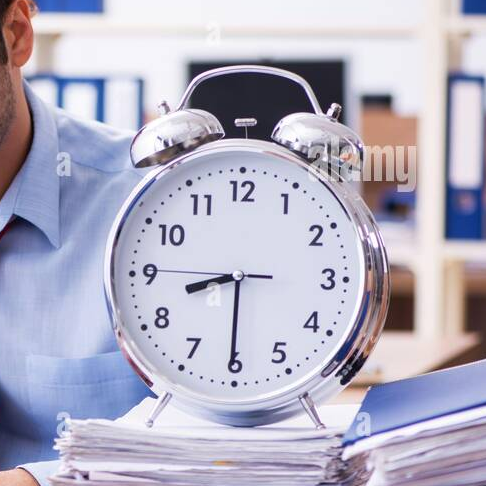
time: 8:30
